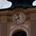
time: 7:57
